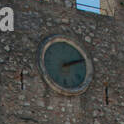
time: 2:11
